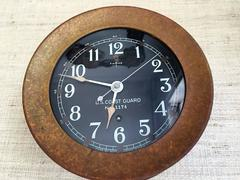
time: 6:47
